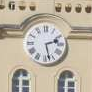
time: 2:27
